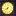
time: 8:02
